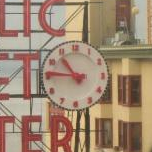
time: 10:45
